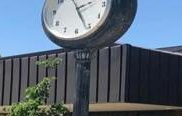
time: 2:26
